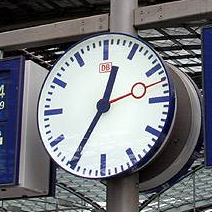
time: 12:35
